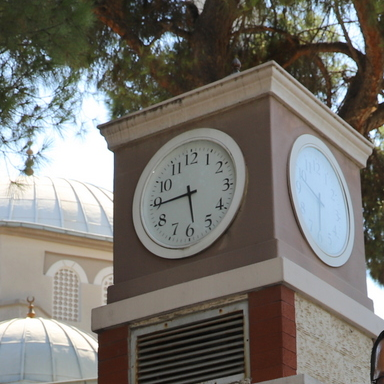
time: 5:44
